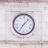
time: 7:07
